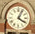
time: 4:04
